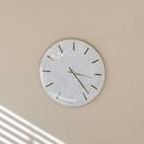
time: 3:23
